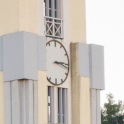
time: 3:14
